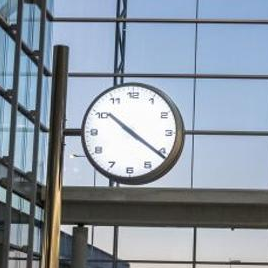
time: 10:20
